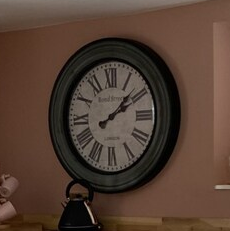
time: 1:09
